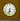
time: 6:32
